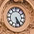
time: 5:24
